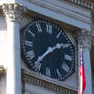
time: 1:36
